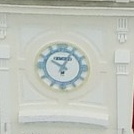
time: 10:04
